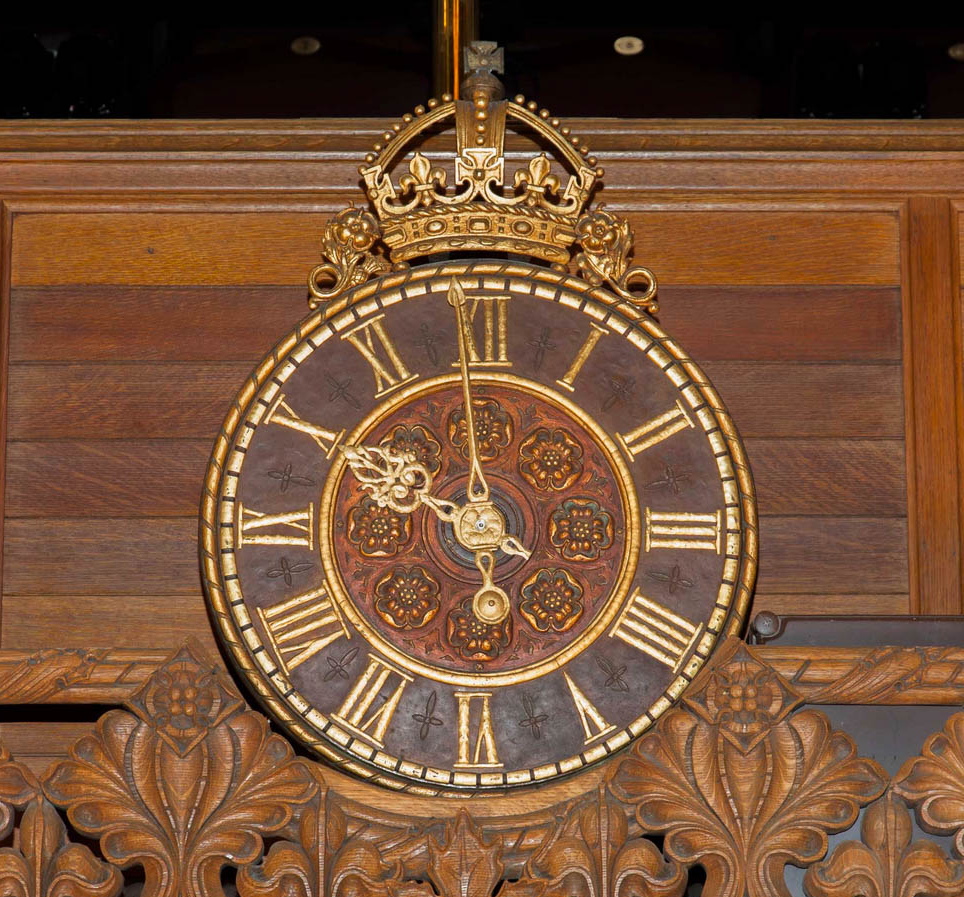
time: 5:49
